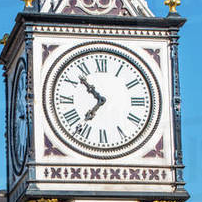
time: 10:36
